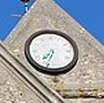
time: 7:34
